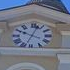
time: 10:02
